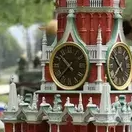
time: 10:37
